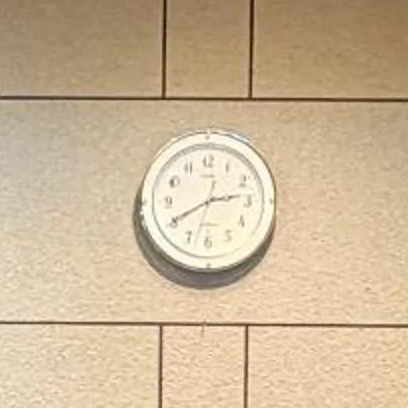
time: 2:40
